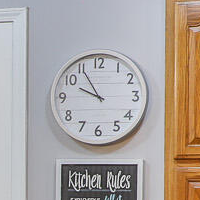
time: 9:54
